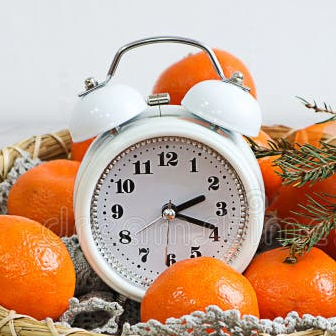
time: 2:18
